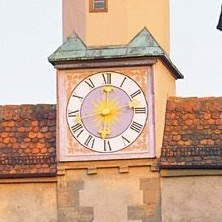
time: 6:00
